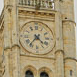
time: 4:36
